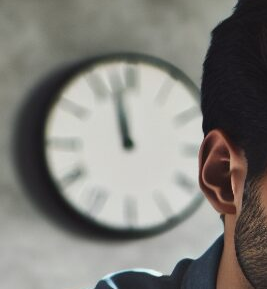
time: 11:57
